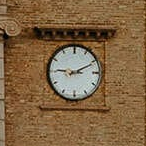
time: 9:10
